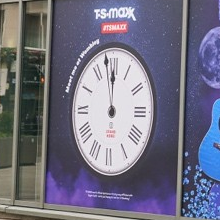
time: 11:58
